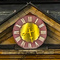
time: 12:28
